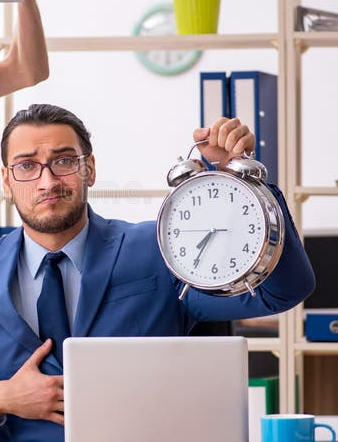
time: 7:35
